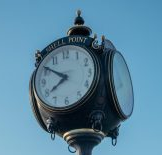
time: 7:50
